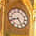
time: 8:24
